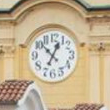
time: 12:52
